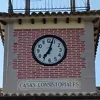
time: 7:03
